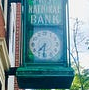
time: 7:31
